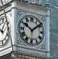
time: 10:08
